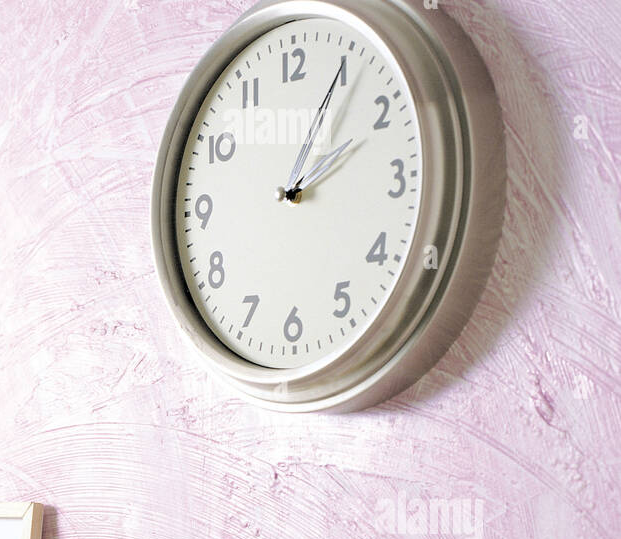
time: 2:05
